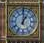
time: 1:00
